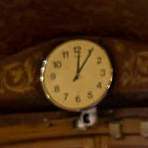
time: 12:05
